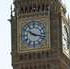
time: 10:17
